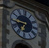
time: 6:44
